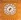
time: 7:32
